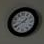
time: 1:40
